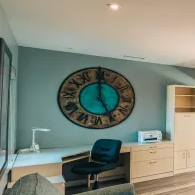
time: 4:59
